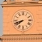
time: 7:41
